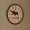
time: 8:48
